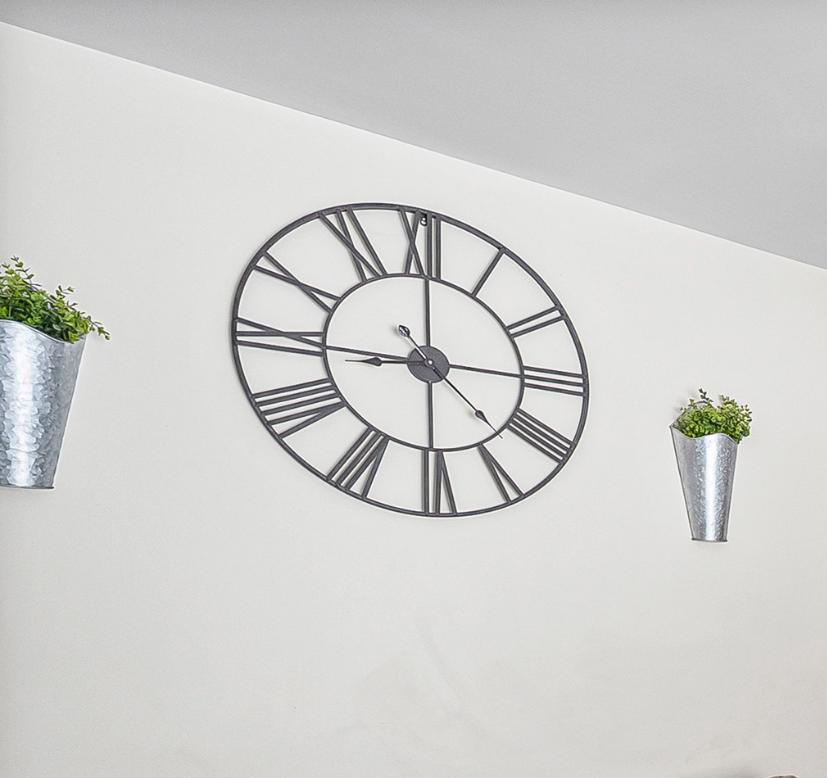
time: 9:00
